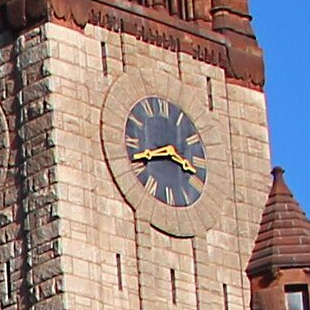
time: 3:41
